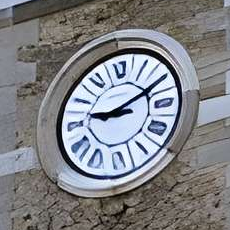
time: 9:10
